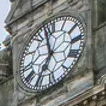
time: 6:58
